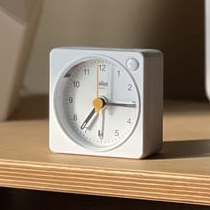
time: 7:15
